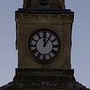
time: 12:05
